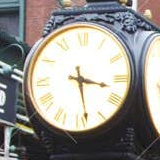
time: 3:28
